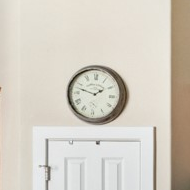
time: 1:47
